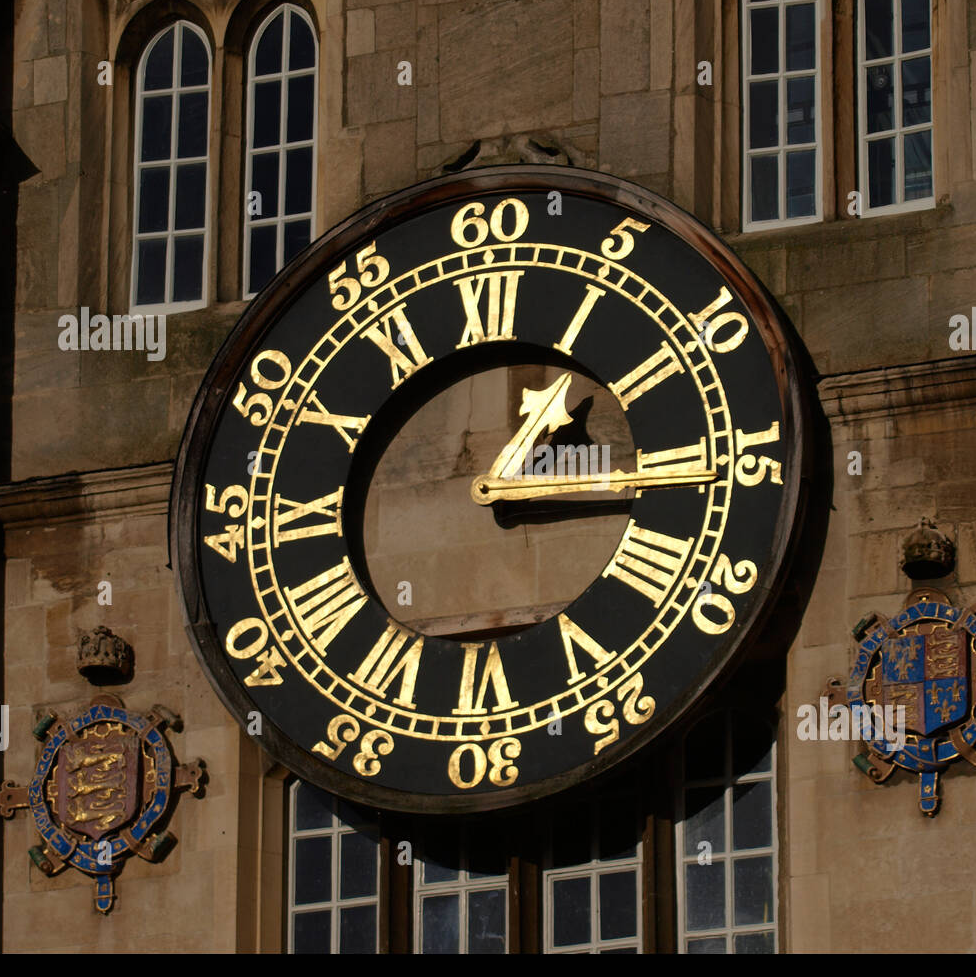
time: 1:16
